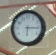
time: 6:15
